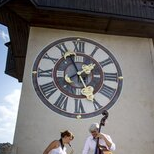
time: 1:56
